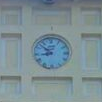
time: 8:52
